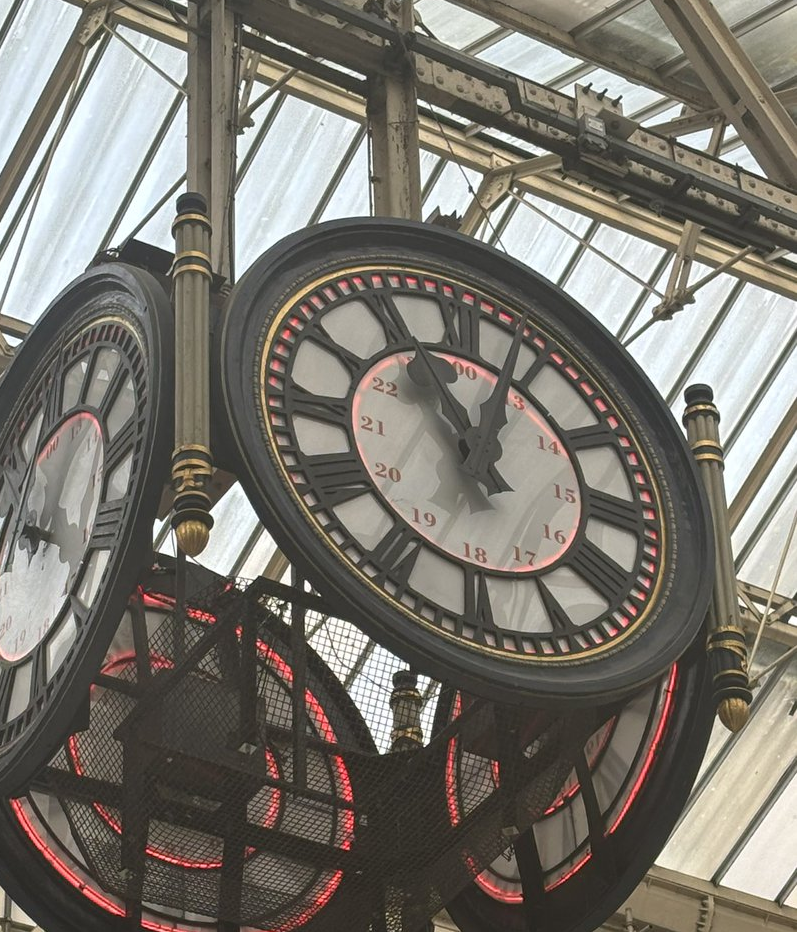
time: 12:55
